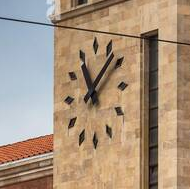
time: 11:07
